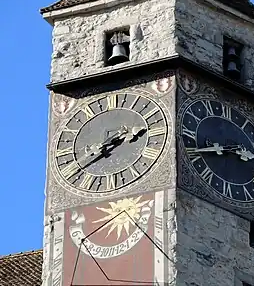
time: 2:40
